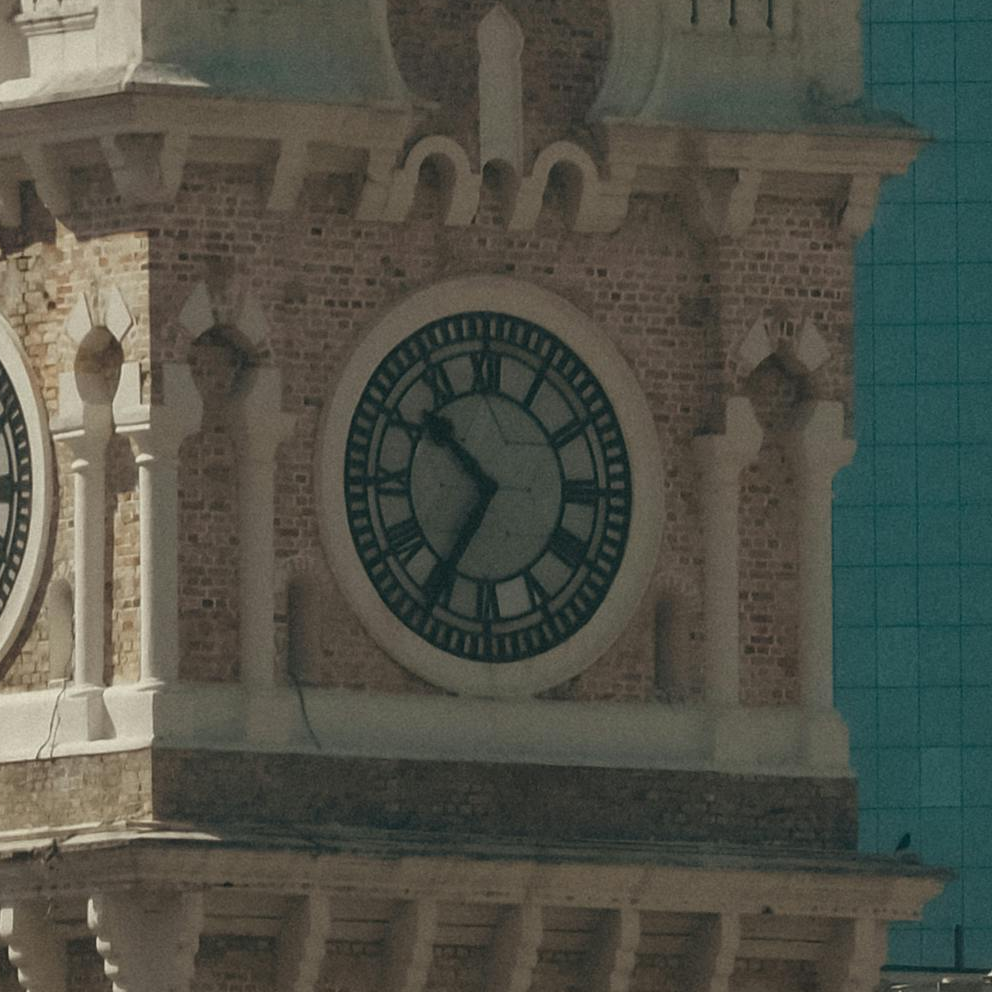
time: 10:35
